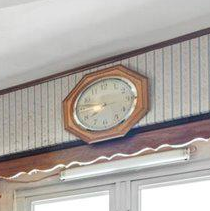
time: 7:46
